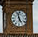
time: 4:57
